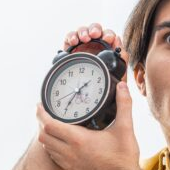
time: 1:35
